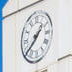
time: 1:38
